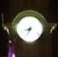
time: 8:34
